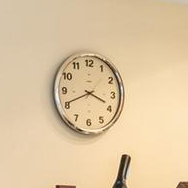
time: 3:40
